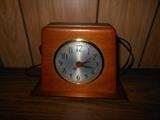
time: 2:18
